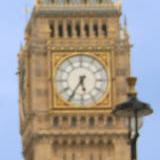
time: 5:35
